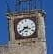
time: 3:39
